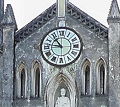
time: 10:46
